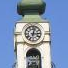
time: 3:02
